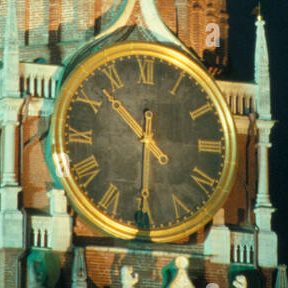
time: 10:30
